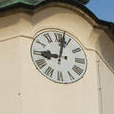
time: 9:01
